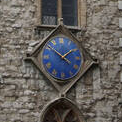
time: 1:51
